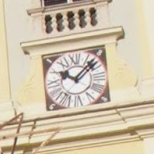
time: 10:07
